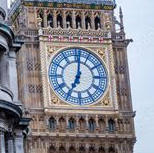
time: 7:01
